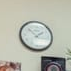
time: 1:52
